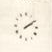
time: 2:09
